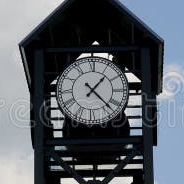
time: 1:22
